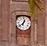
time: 12:37
